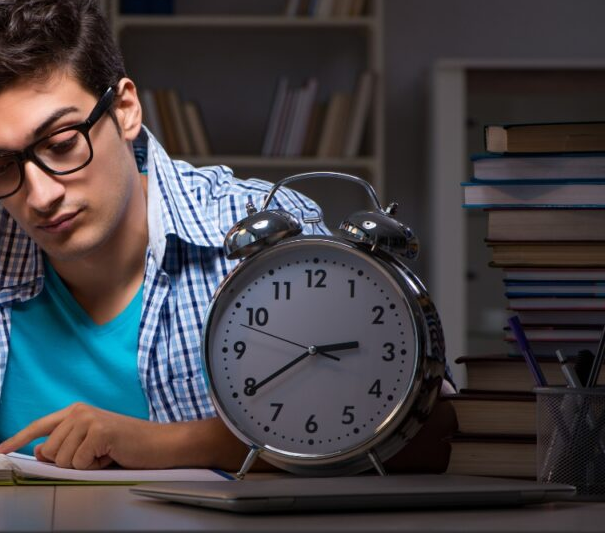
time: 2:39
